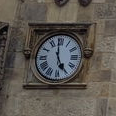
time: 4:59
